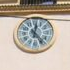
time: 12:23
